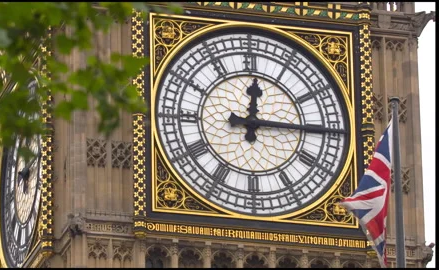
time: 12:15
